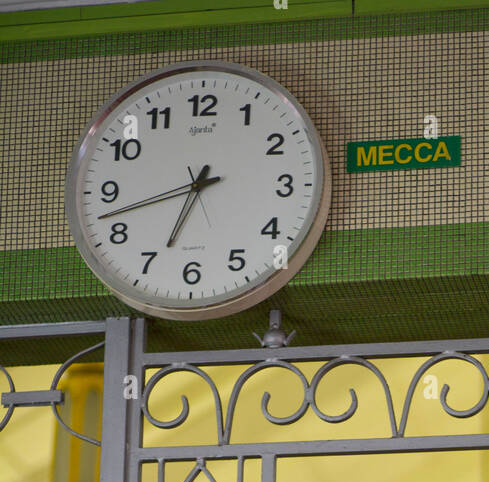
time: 6:42
